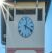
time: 12:19
